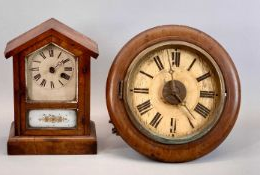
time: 11:22
